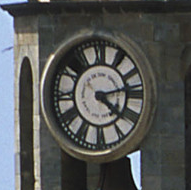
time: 4:13
